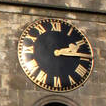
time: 2:14
